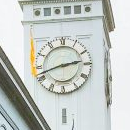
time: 2:42
